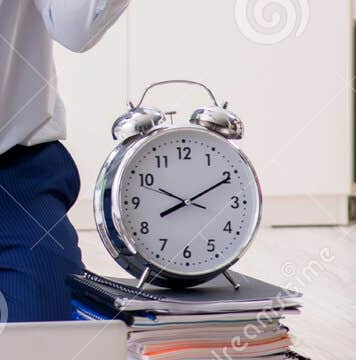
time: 8:10
